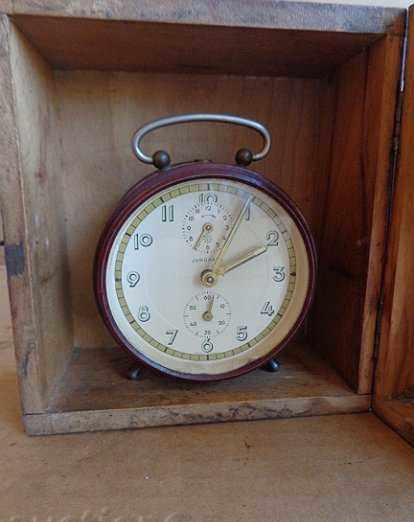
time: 2:03
